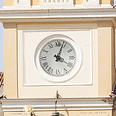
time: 4:03
